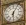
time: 6:05
